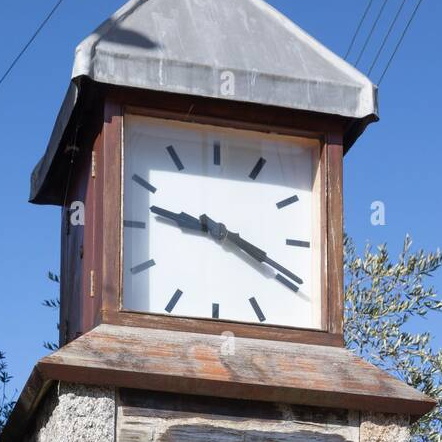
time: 9:19
